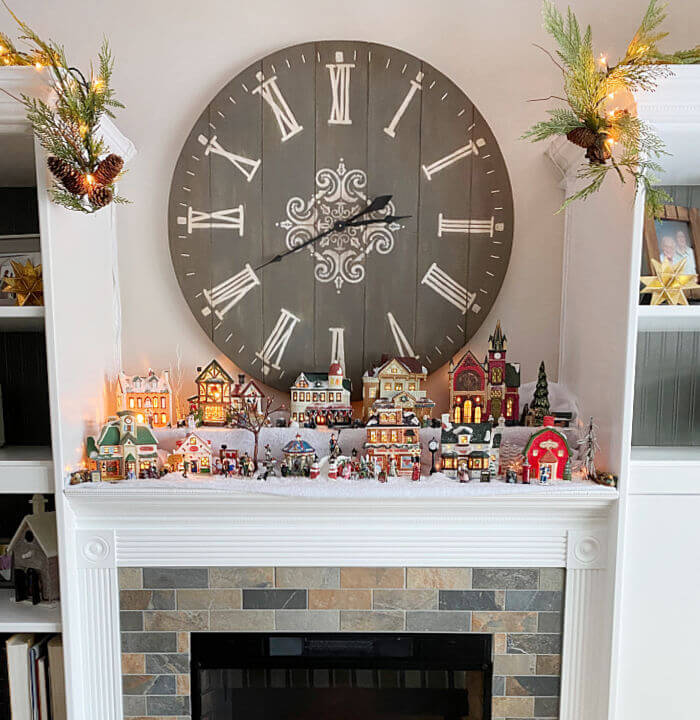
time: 2:40
